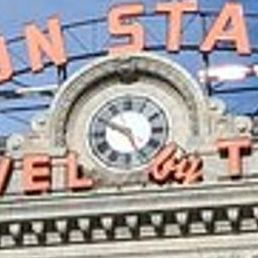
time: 4:49
